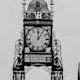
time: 12:06
